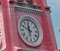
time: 11:49
